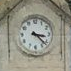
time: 3:22
